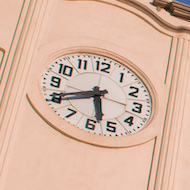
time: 5:40
